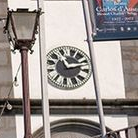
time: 11:12
